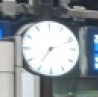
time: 7:11
